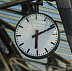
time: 6:11
